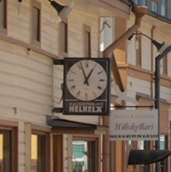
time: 12:56
